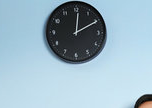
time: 12:10
